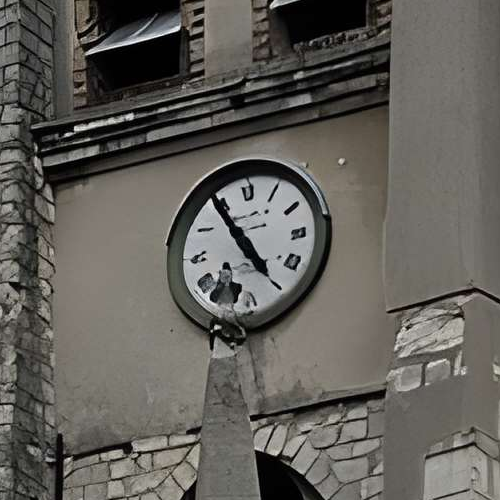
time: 4:54
